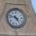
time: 4:47
